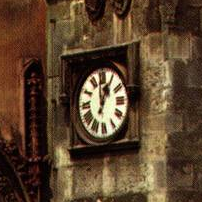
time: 12:05
